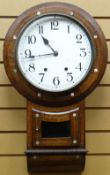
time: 10:43
